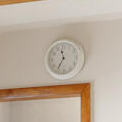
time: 11:35
